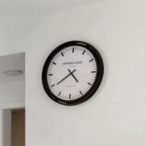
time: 4:39
